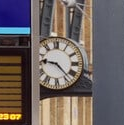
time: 9:22
